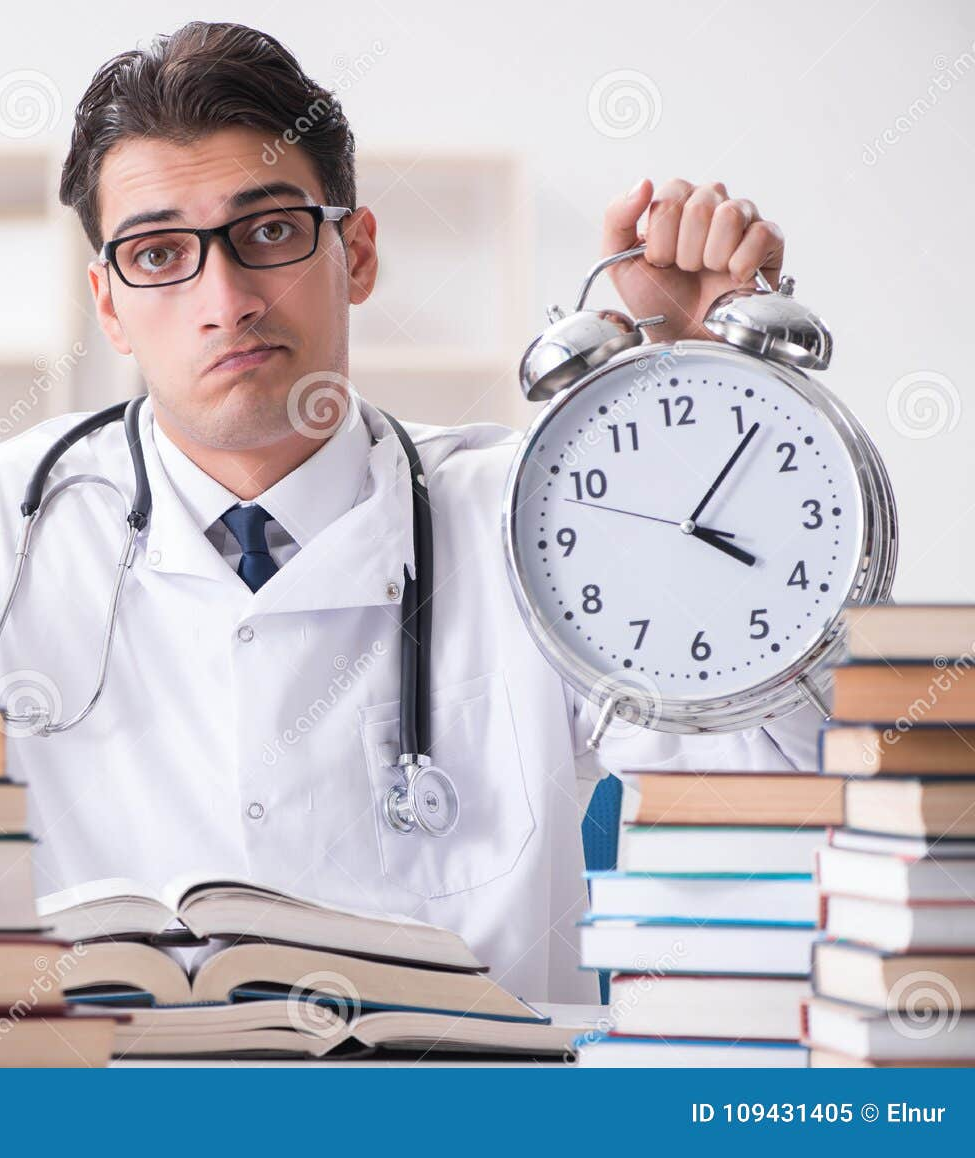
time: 4:06
